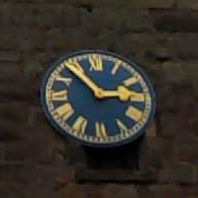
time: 2:52
